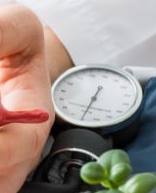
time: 12:33
